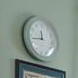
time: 11:43
